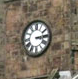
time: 3:13
